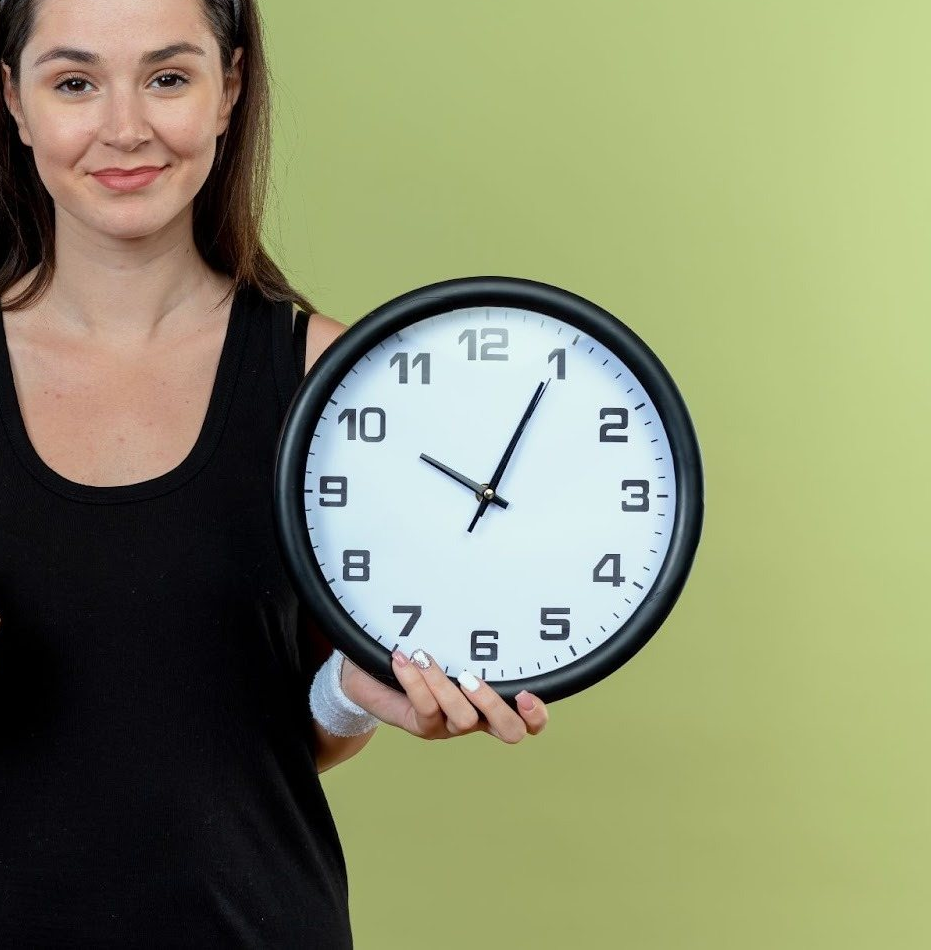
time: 10:04
